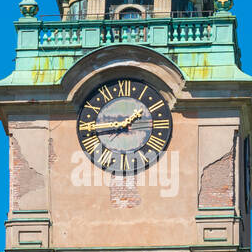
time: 1:45
